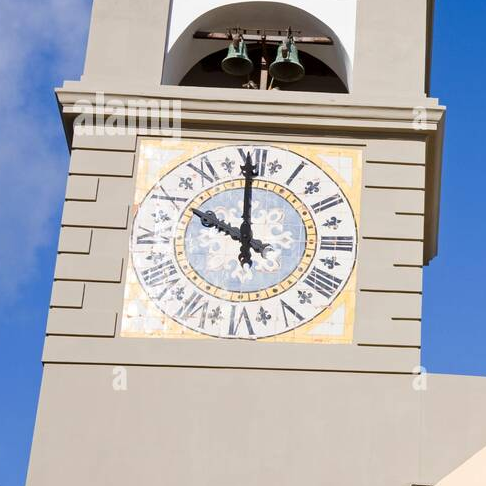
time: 9:59
